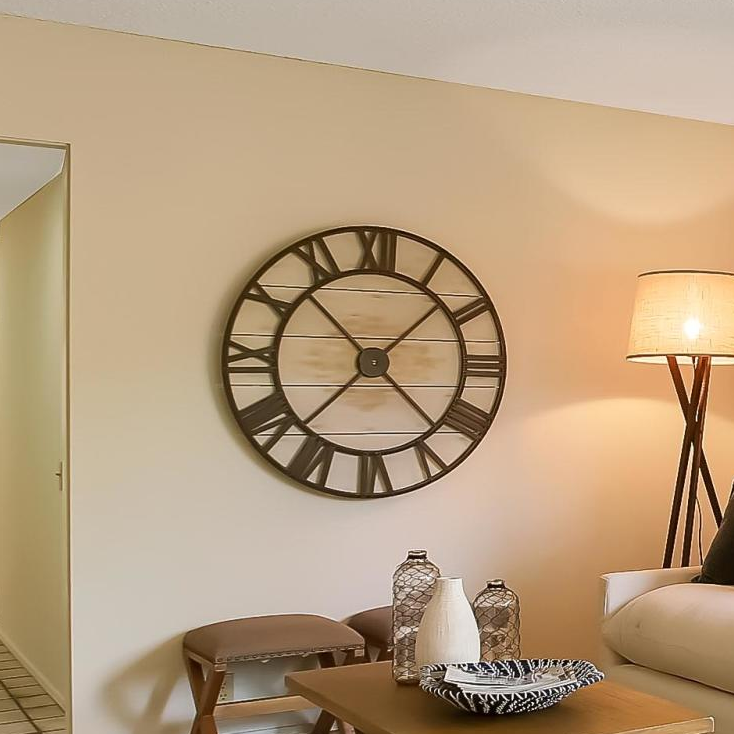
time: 1:37
